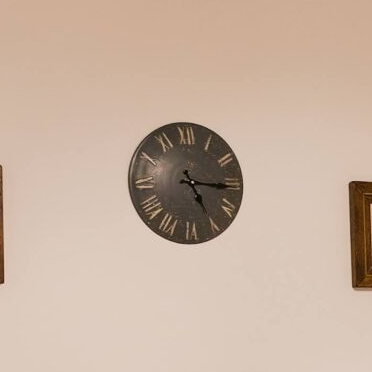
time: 5:15
